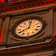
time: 8:01
